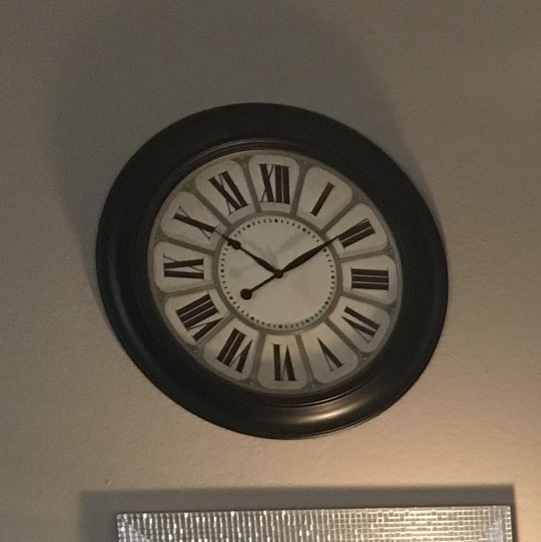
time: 1:50
